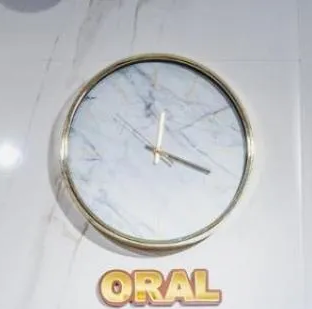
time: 12:18
